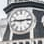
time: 9:13
